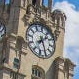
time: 1:28
